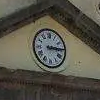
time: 3:14
